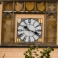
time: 10:18
